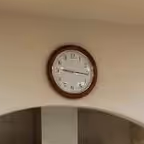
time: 9:16
